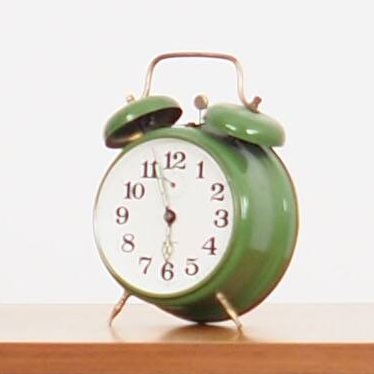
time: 5:57
